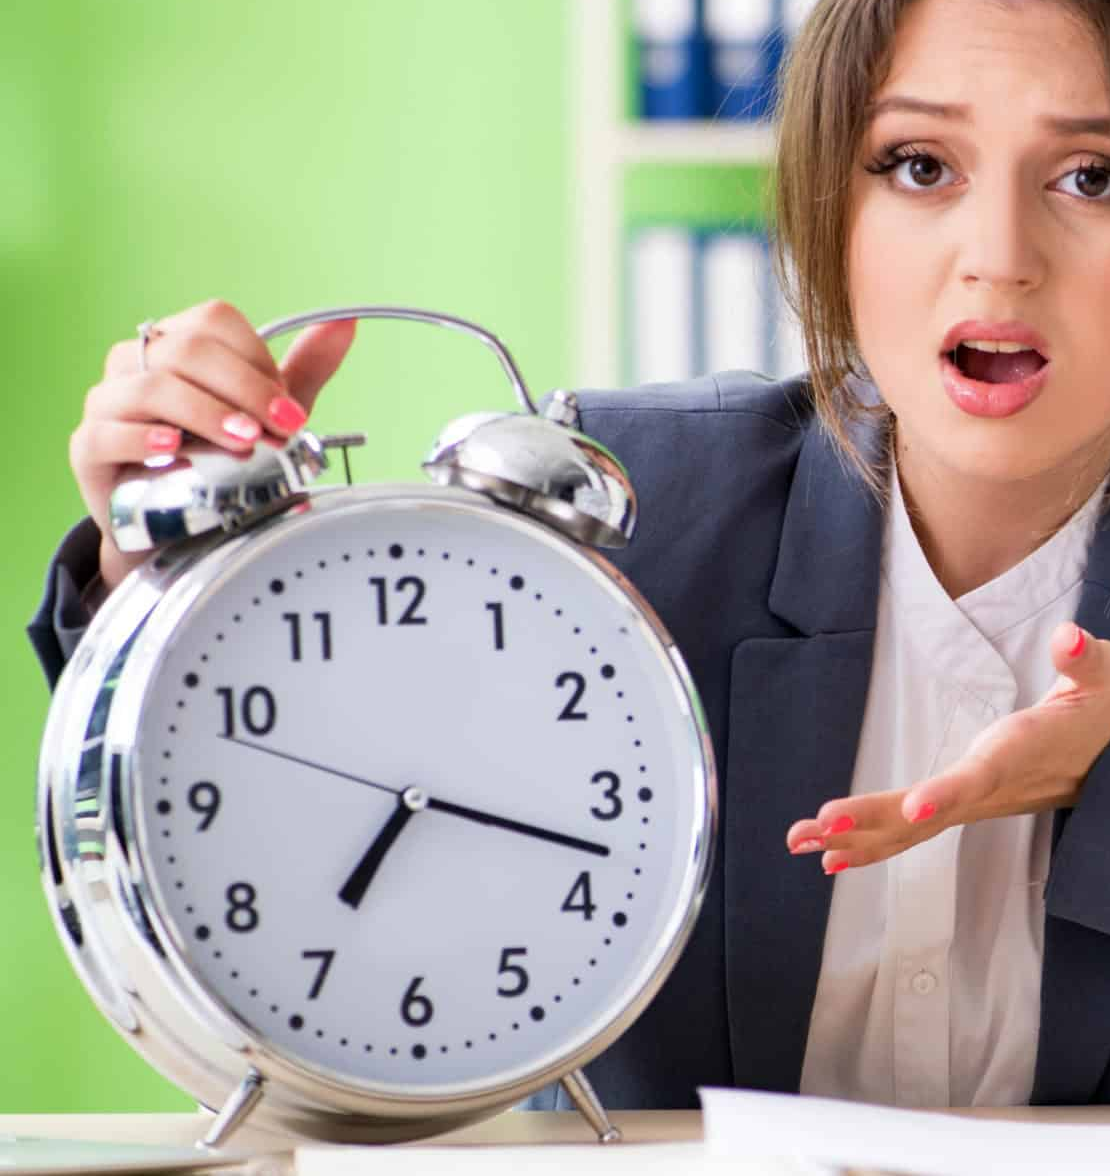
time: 7:17
